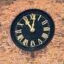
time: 11:02
